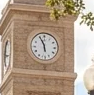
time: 5:55
